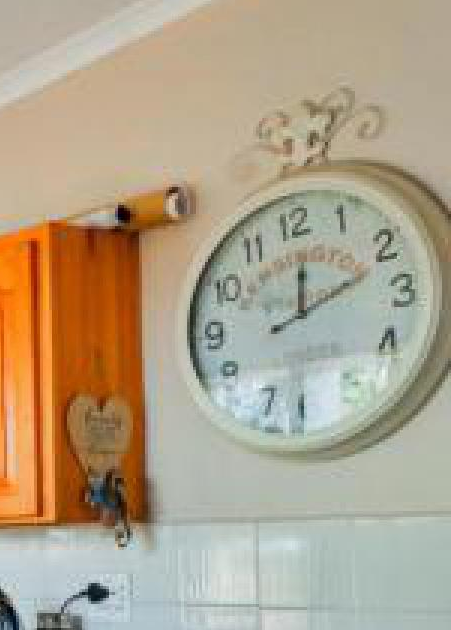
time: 12:11
